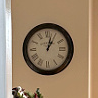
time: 1:02
